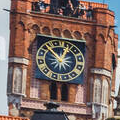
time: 12:52
